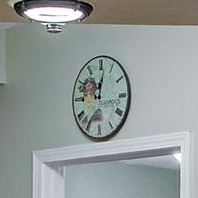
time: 12:01
